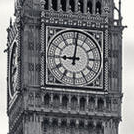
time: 9:01
